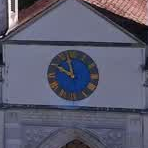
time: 9:57
